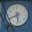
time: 5:40
